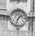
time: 1:33
